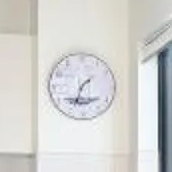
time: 1:33
